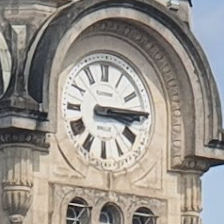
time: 3:14
